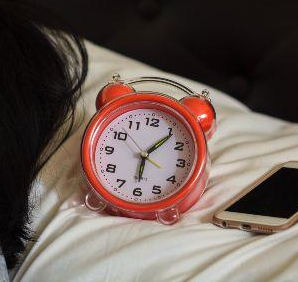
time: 6:06
